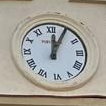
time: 12:04
